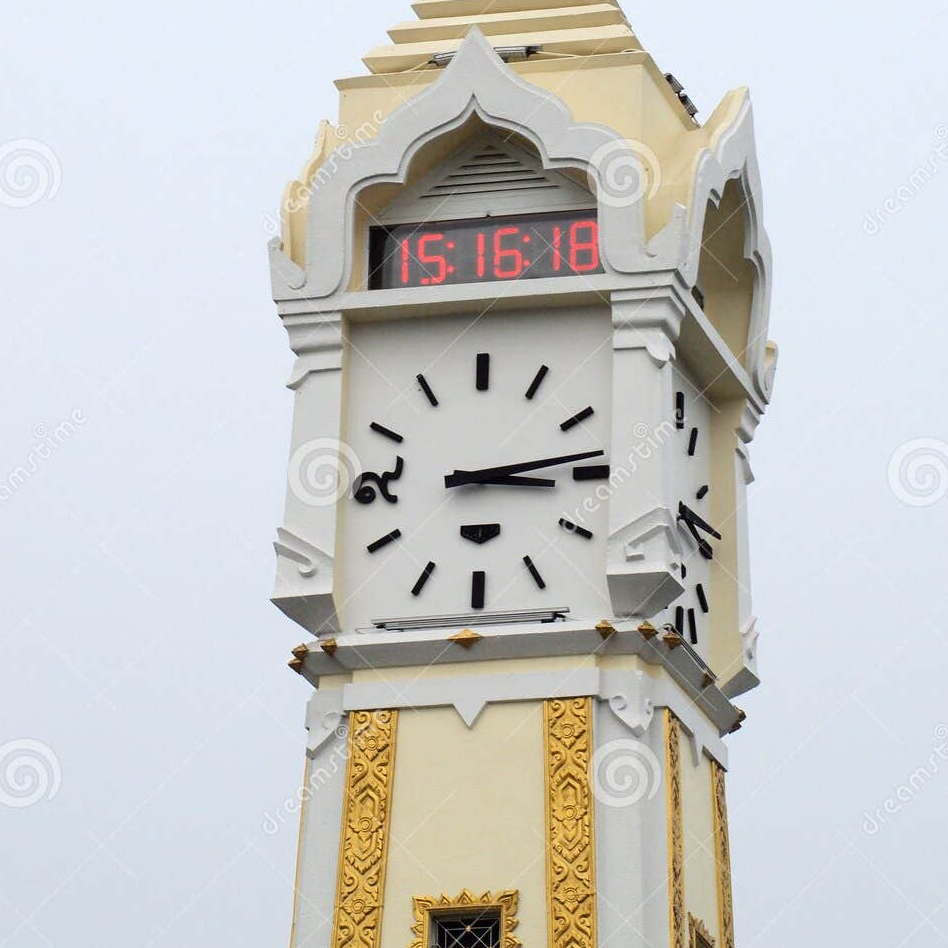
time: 3:13
